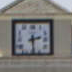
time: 2:29
